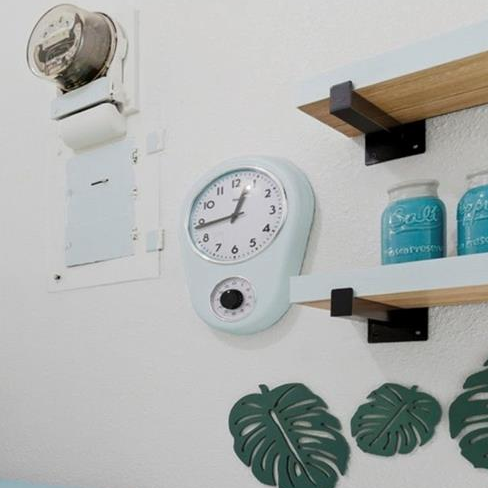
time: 12:43
